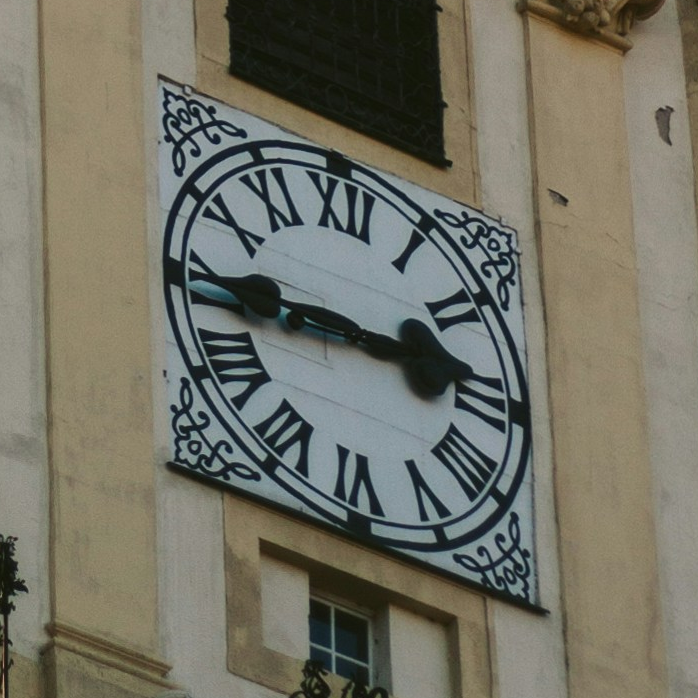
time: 2:44
